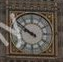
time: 9:51
